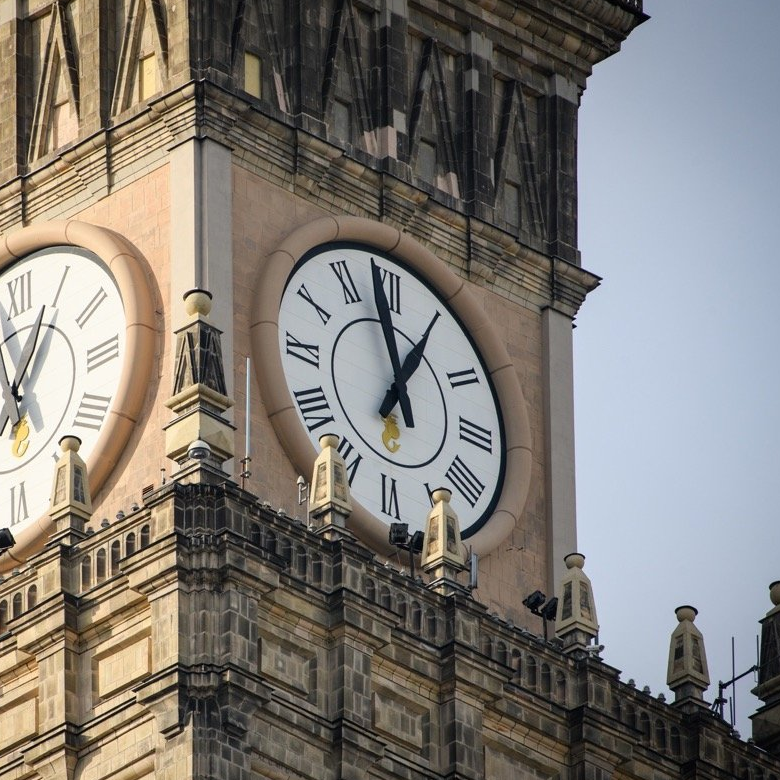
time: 12:58
